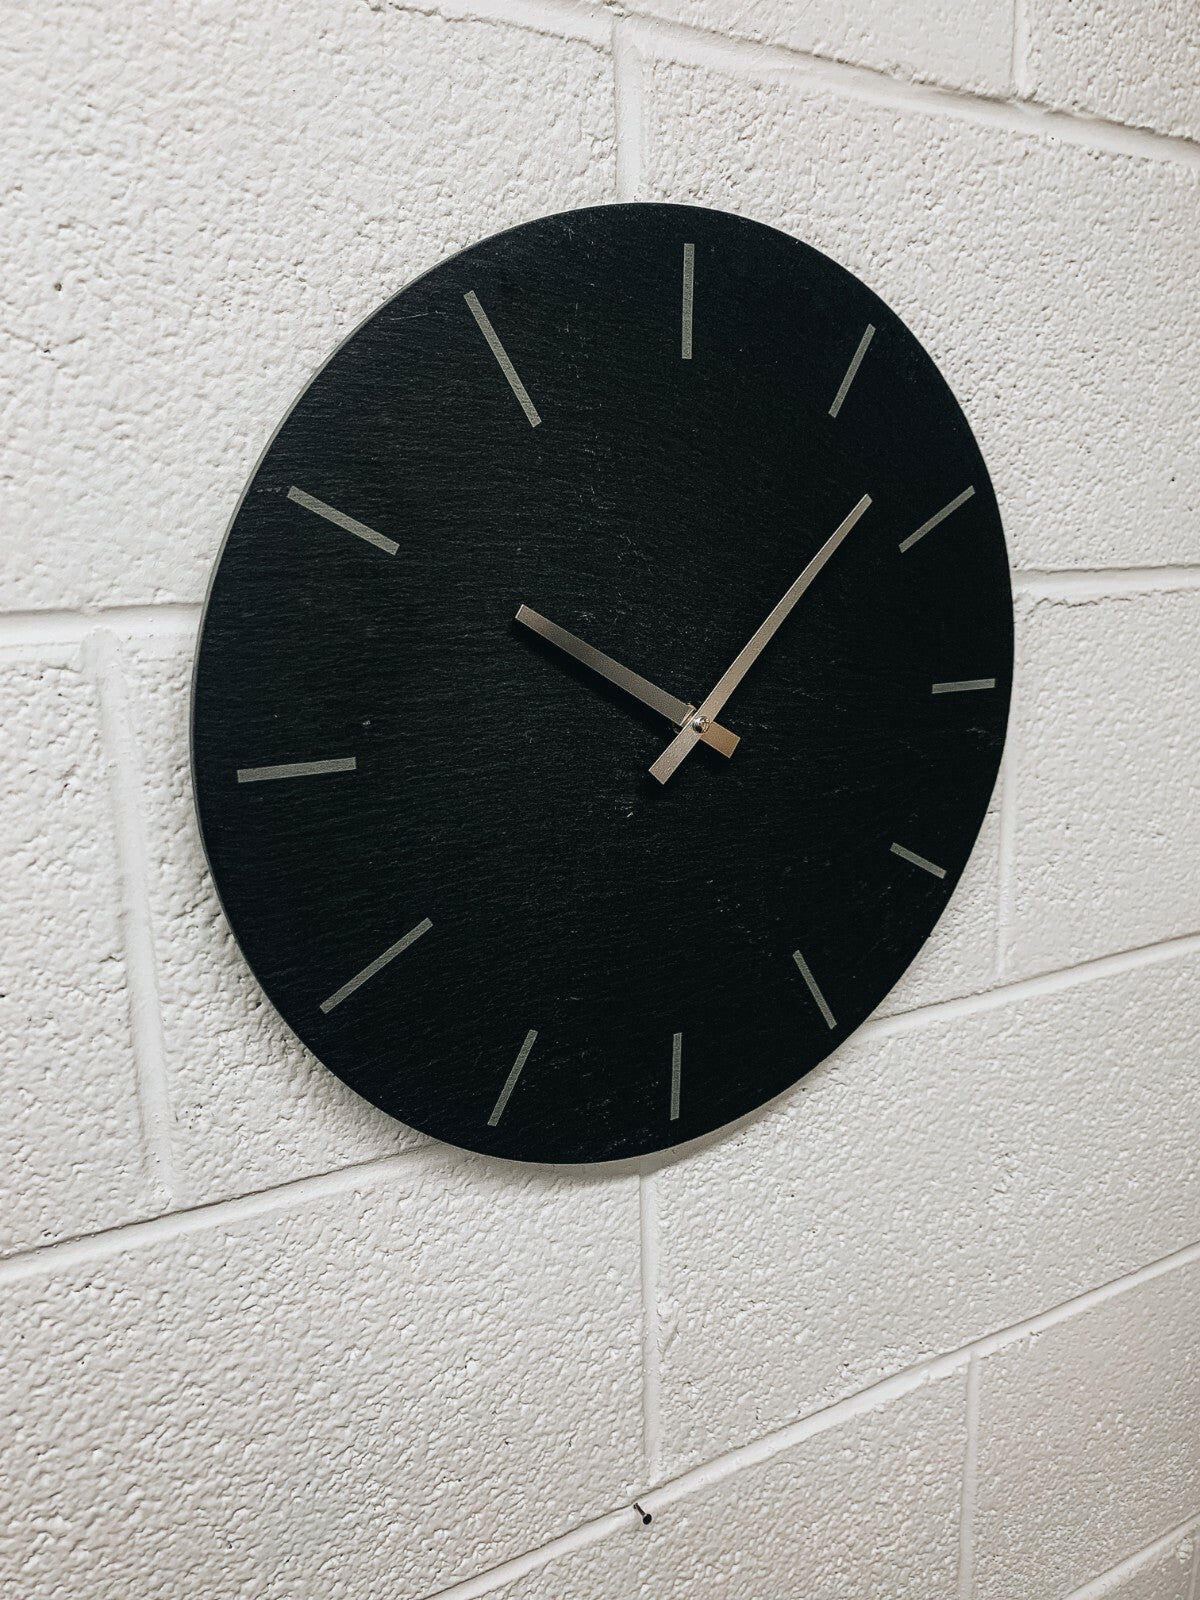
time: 10:07
